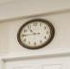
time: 10:45
